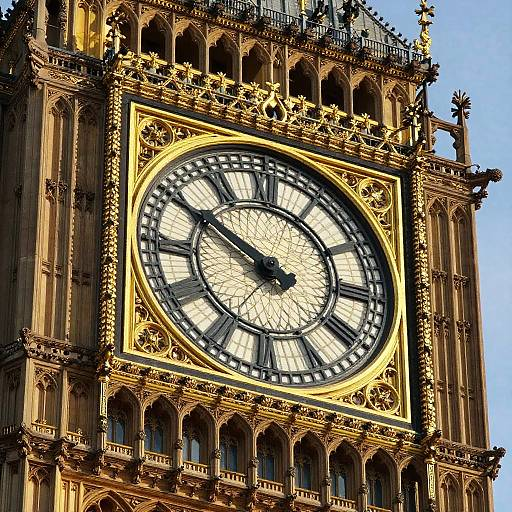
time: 9:50
